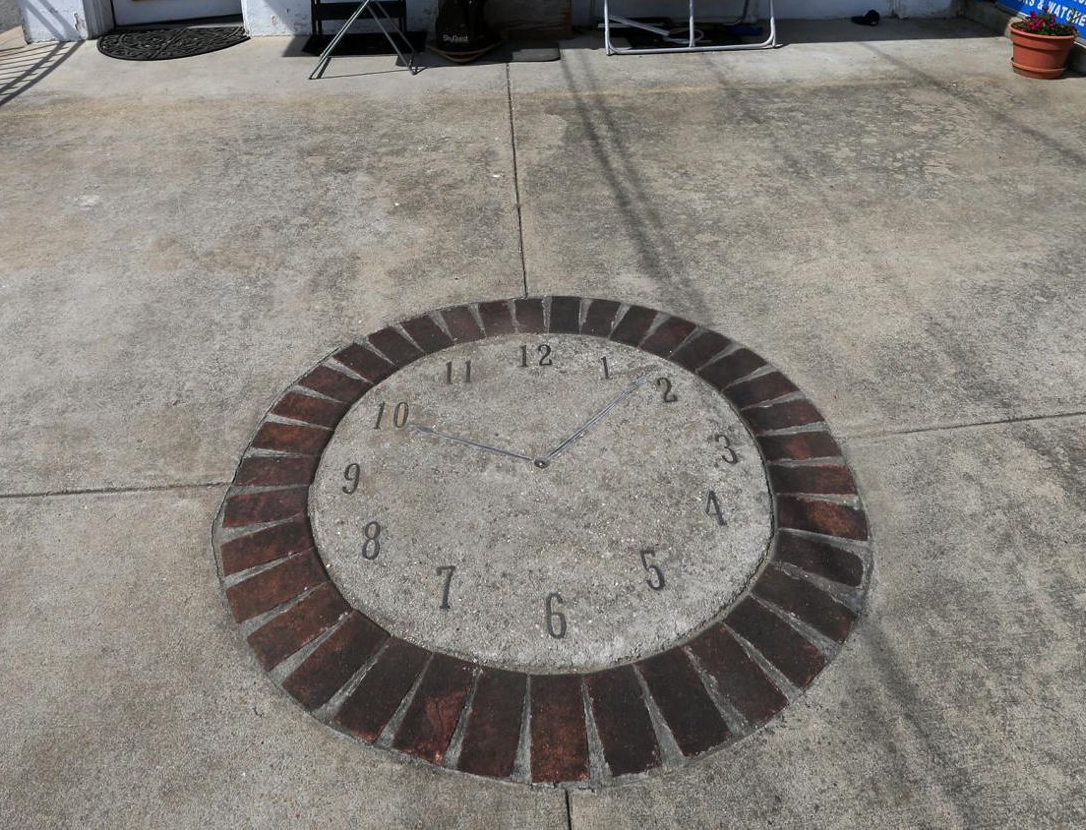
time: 12:48
